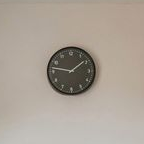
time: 1:46
